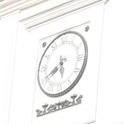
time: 5:40
